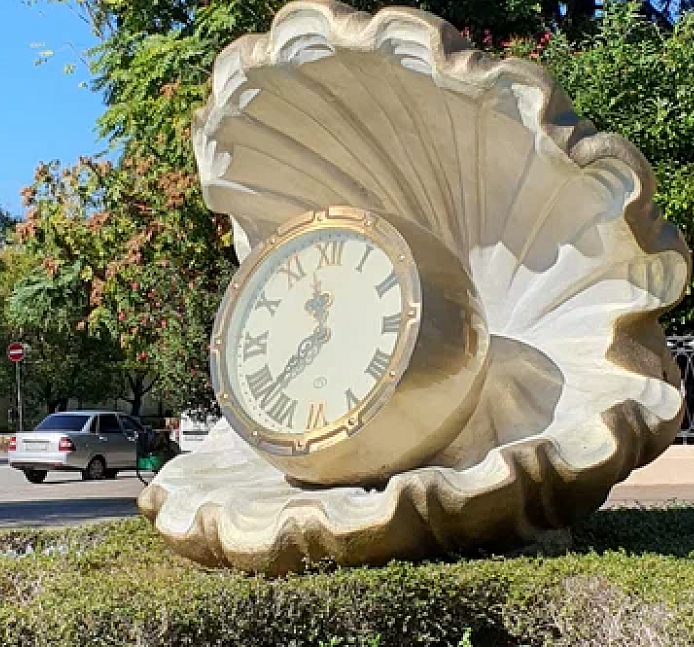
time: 11:37
